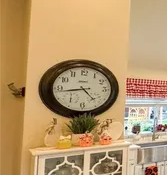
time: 4:43
